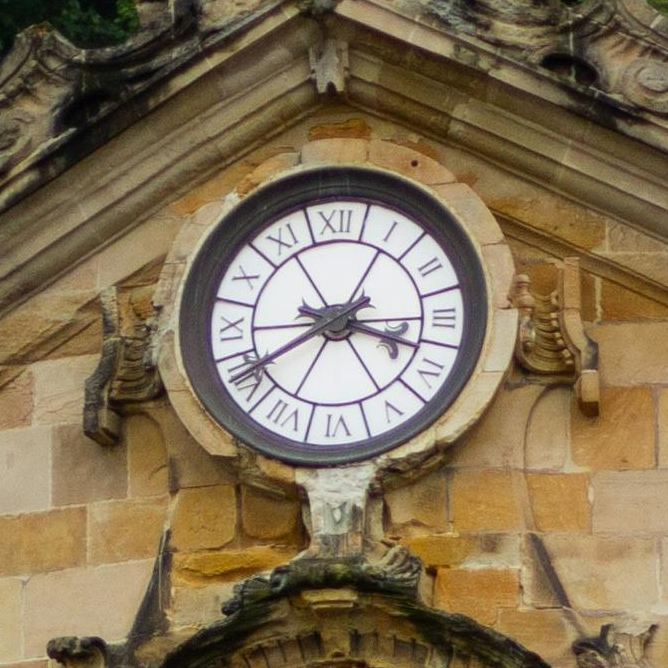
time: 3:40
